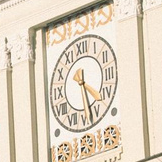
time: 4:27
